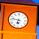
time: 6:47
